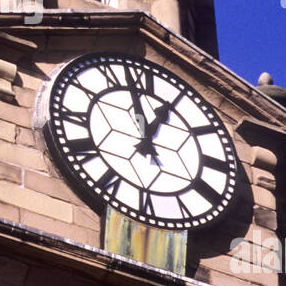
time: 12:57
